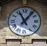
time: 11:06
